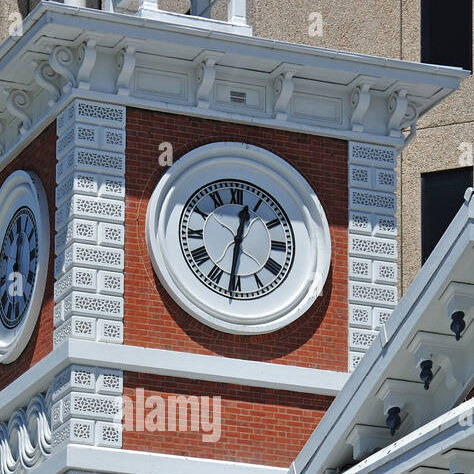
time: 12:31
